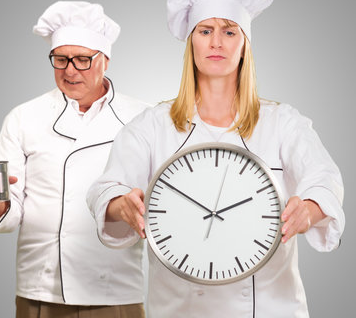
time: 1:50
